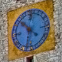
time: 10:32
